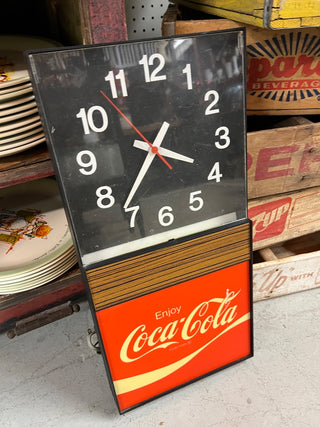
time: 3:36
